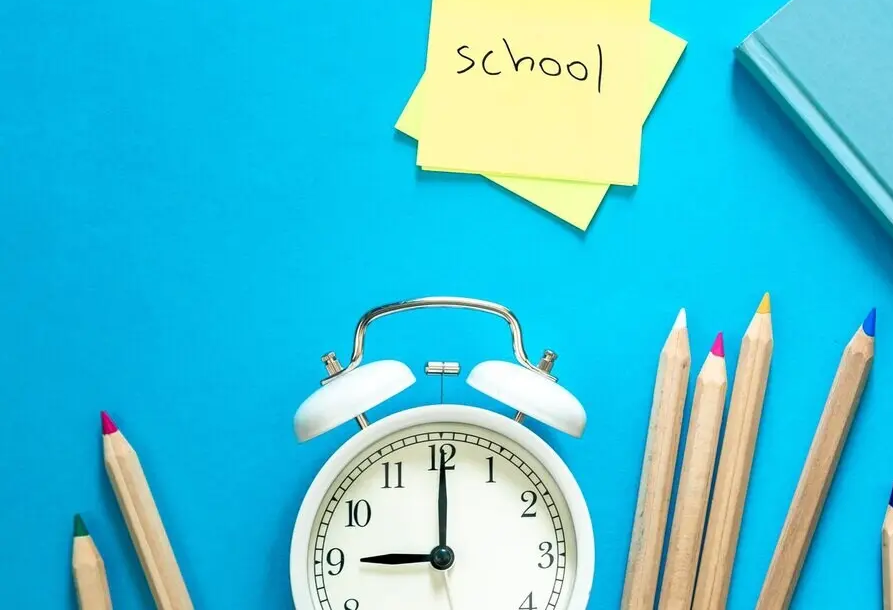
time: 9:00
